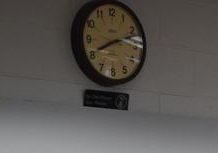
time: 8:11
